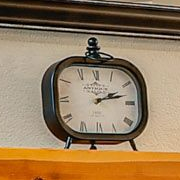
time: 2:12
